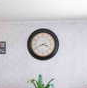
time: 3:41
